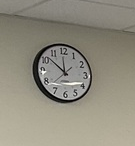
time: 11:51
